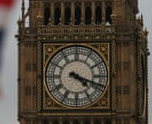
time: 4:18
